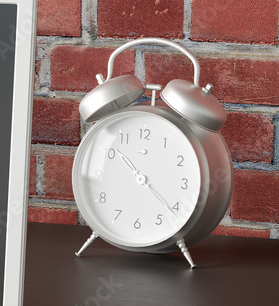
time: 10:21
